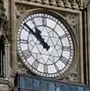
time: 10:51
